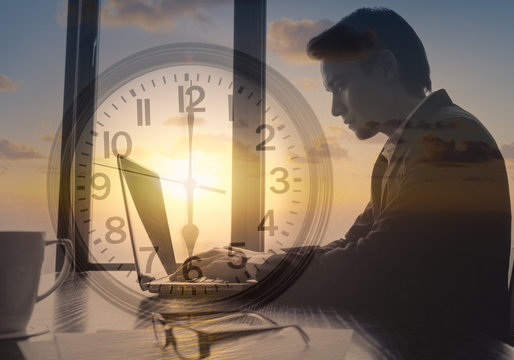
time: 6:00
